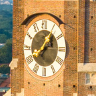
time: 8:06
